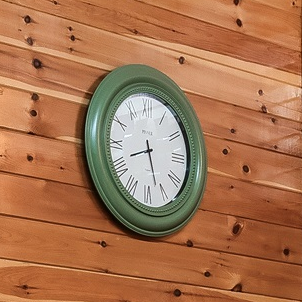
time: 8:27
